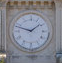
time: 1:47
